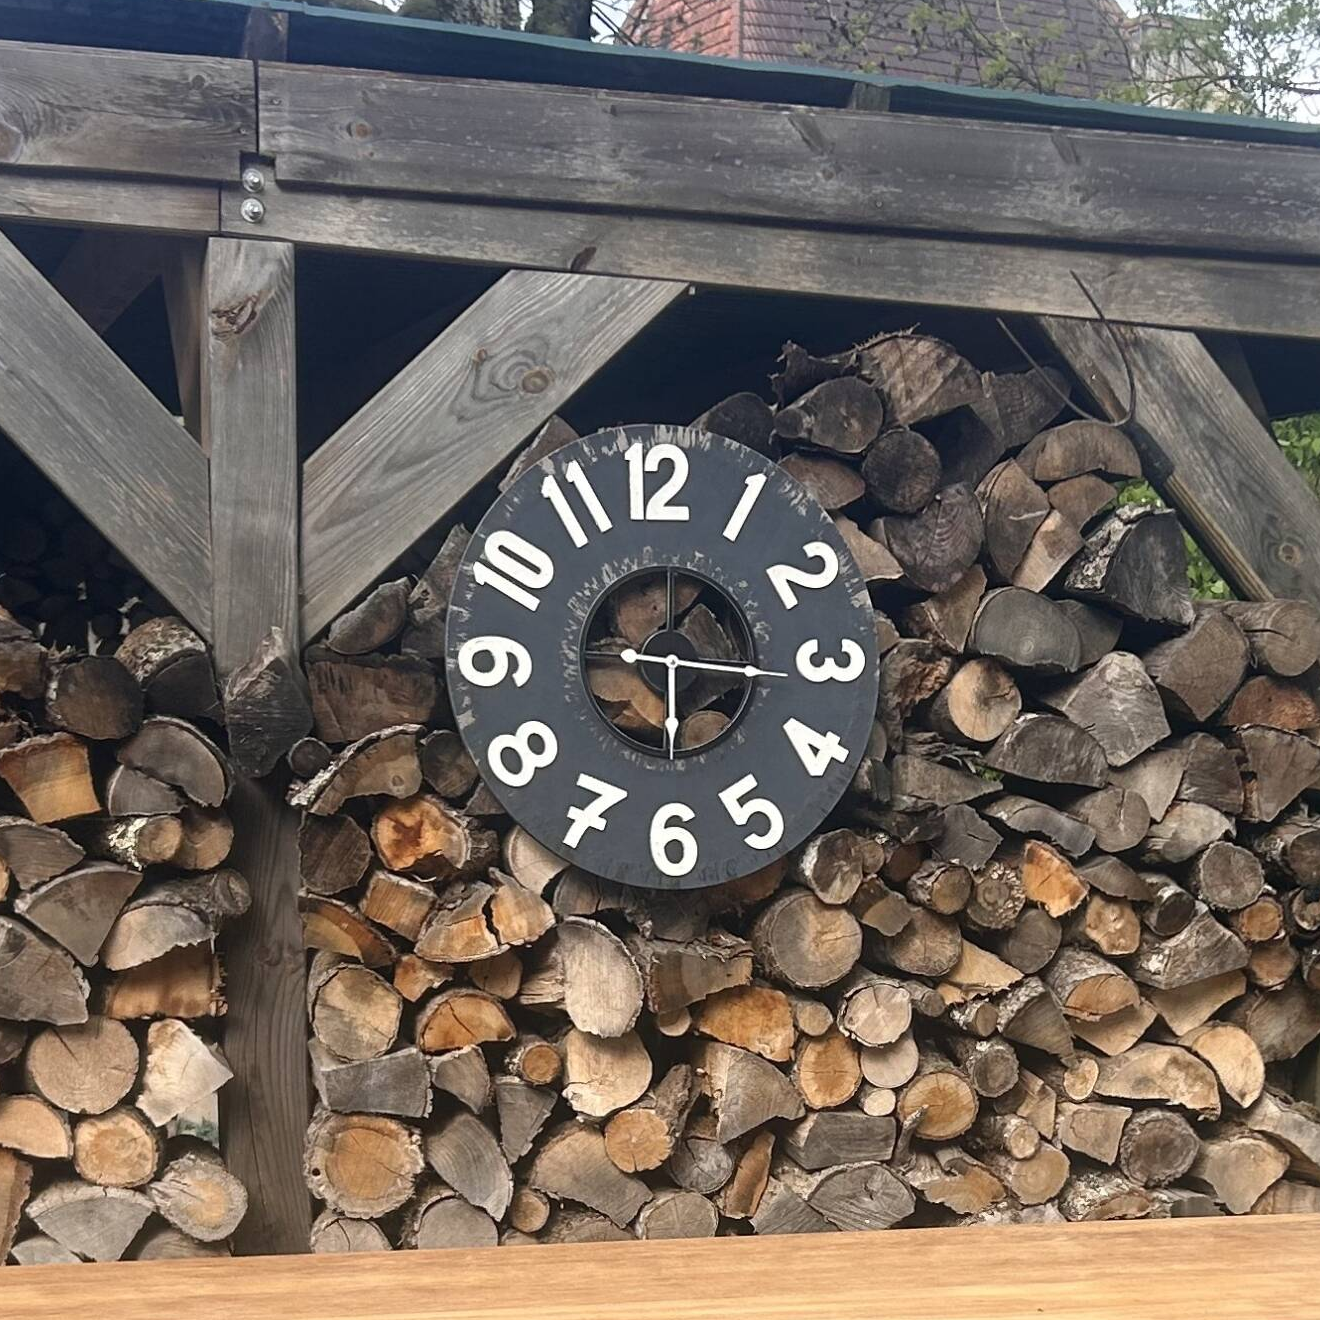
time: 6:16
